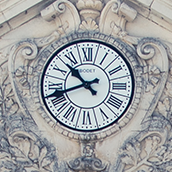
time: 10:41
